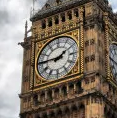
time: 1:45
